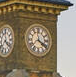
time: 3:58
